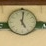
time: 5:01
